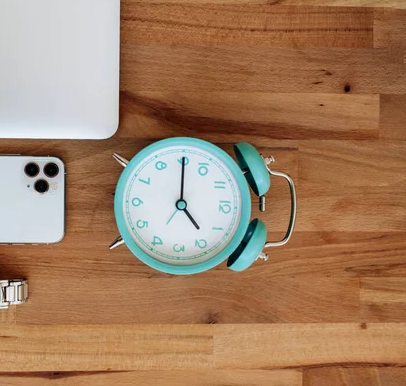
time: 5:00
